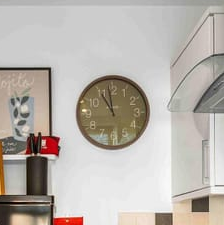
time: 10:58
